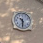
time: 10:30
